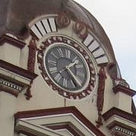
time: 1:24
